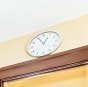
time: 12:55
